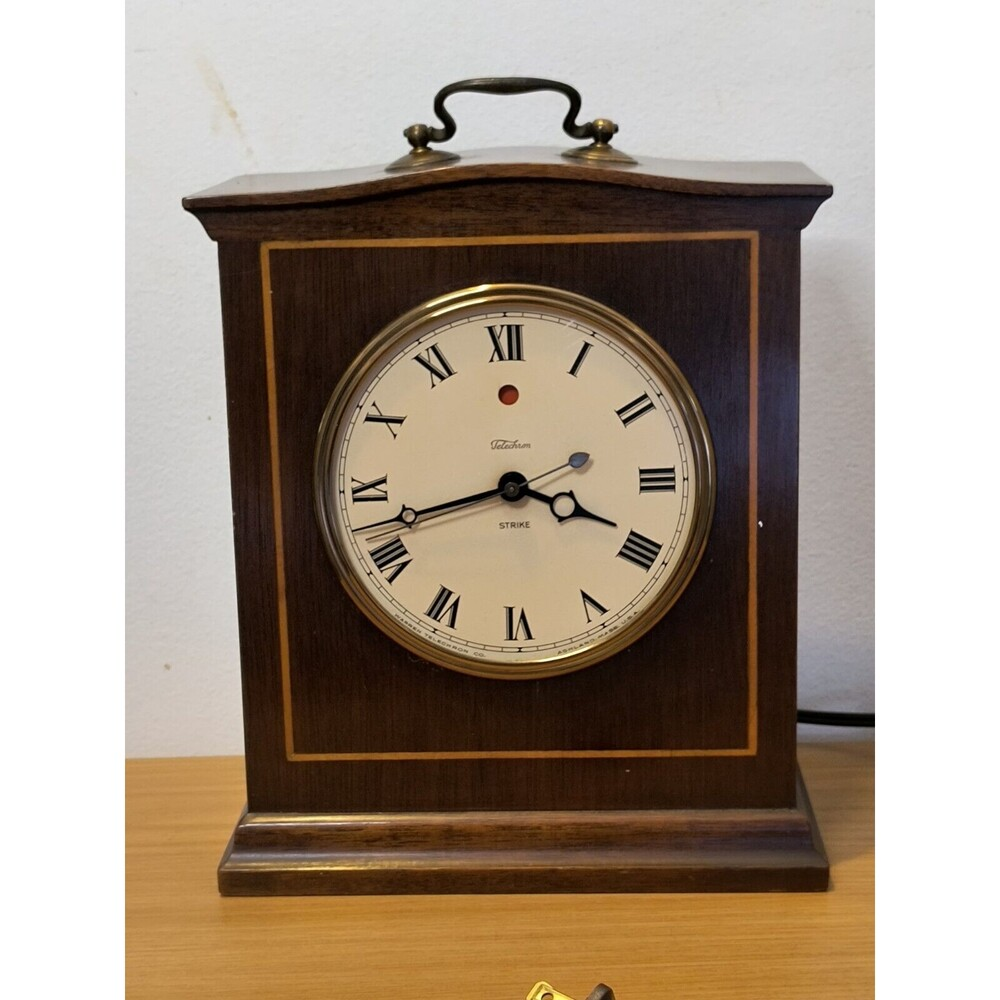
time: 3:42
